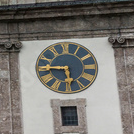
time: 5:45
